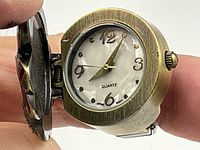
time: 8:05
